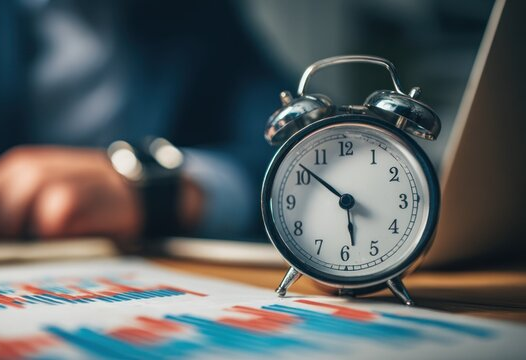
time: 5:51
